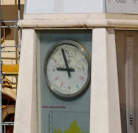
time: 8:57
